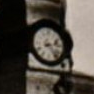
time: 2:23
